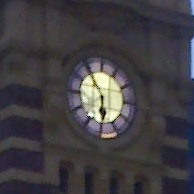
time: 5:54
